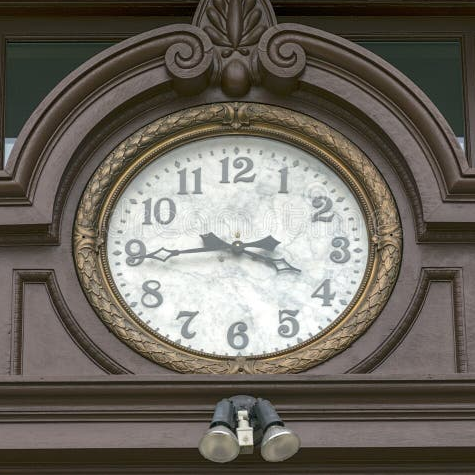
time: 3:44
